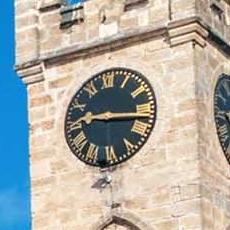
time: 9:16
